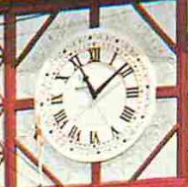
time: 11:08
